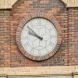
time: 9:52
